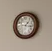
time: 1:16
